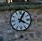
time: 4:04
